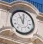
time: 11:01
